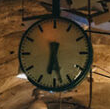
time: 6:27
